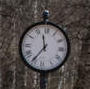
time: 11:35
